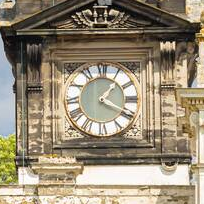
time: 1:20
